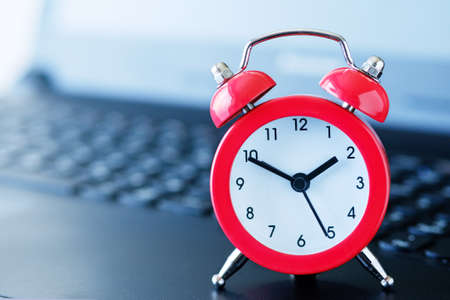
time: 1:49
